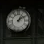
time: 1:09
